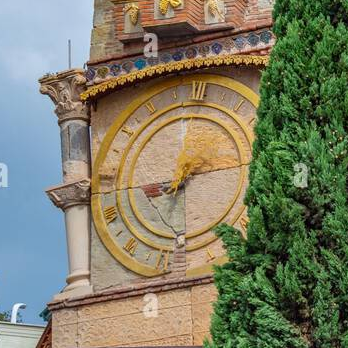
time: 7:42
